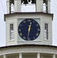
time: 12:30
